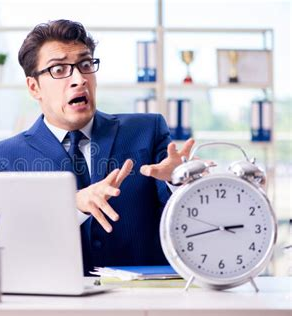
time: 2:42
